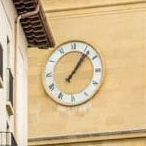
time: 1:06
